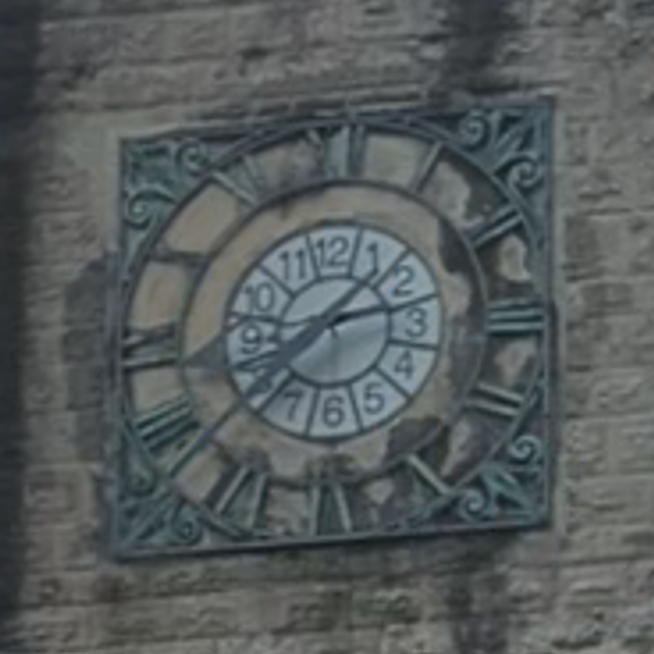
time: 2:38
